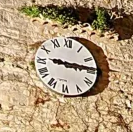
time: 9:14
